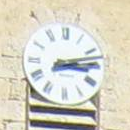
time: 3:13
